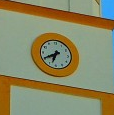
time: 6:40
